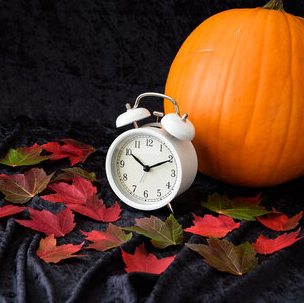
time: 10:10
